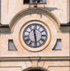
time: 11:28
